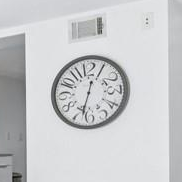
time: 12:32
